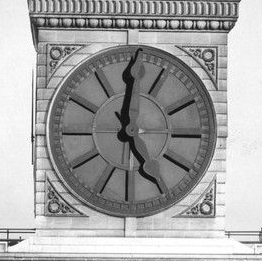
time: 5:00
